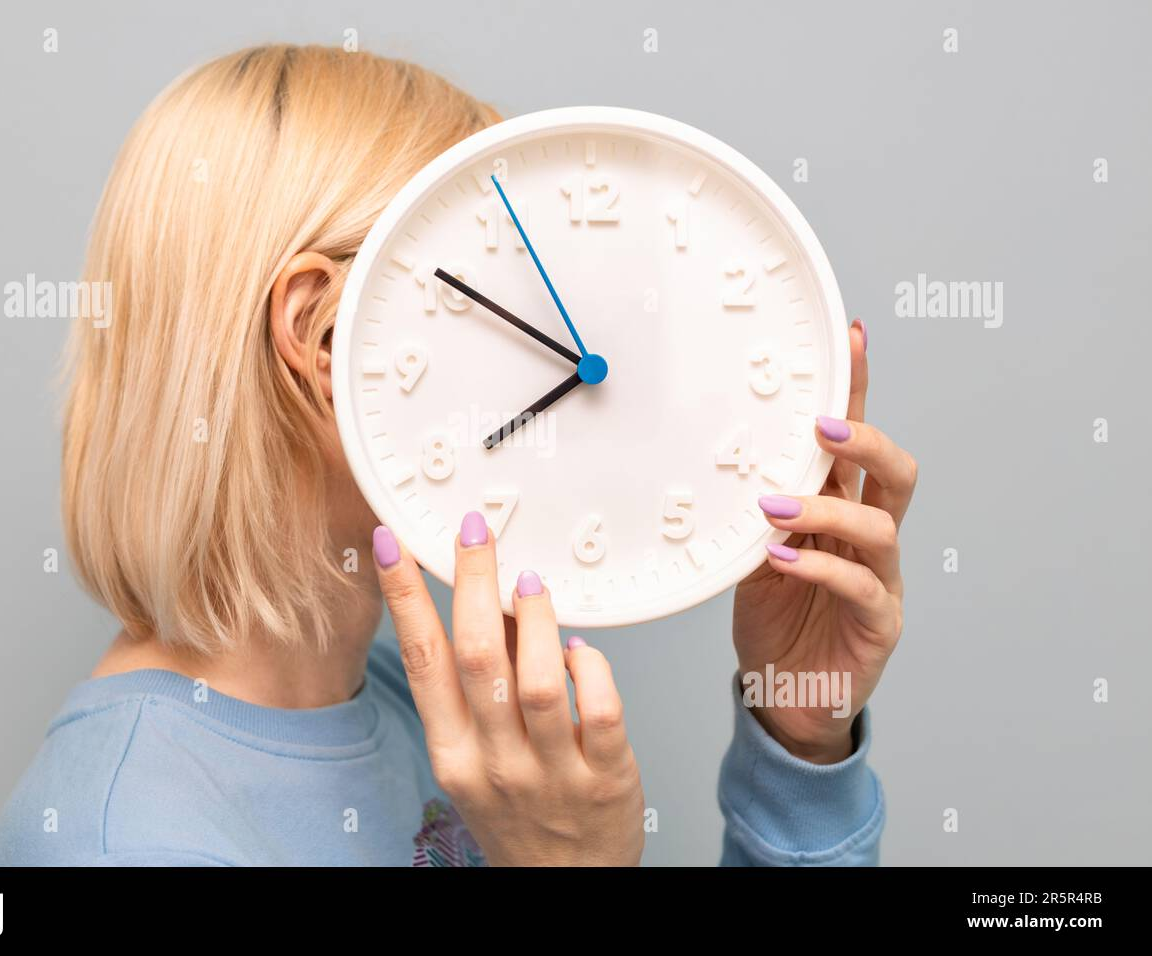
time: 7:50
